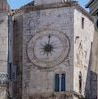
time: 9:01
